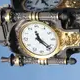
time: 11:22
